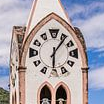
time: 6:06
